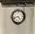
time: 4:42
